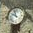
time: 9:57
